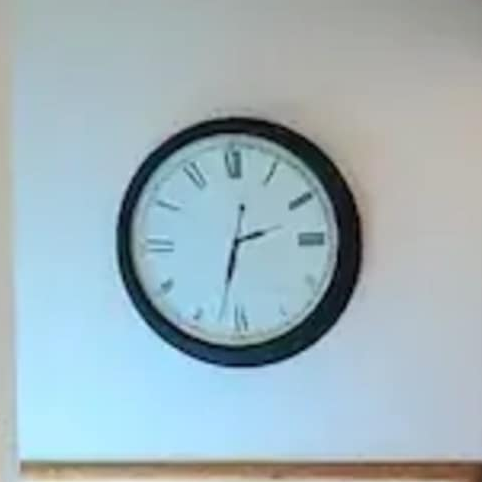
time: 2:32
